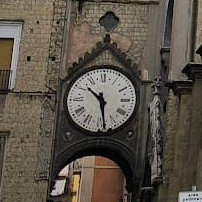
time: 10:28
